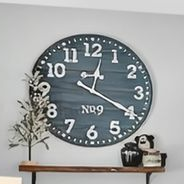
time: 12:20
